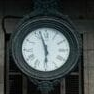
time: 5:57
